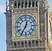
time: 12:34
